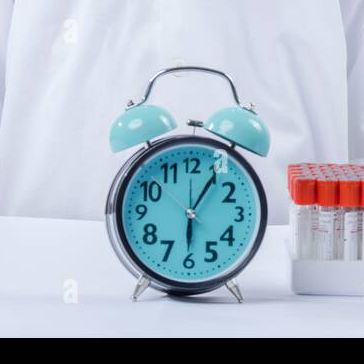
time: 6:05
